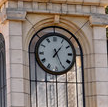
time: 1:25
